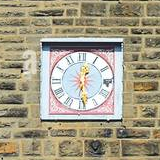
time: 12:28
